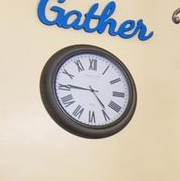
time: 4:45
